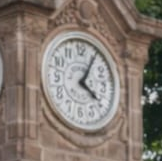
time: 4:05
